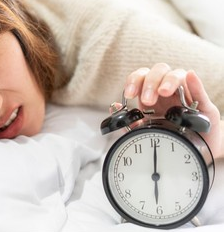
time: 6:00
